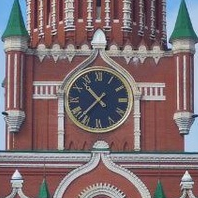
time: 10:37
